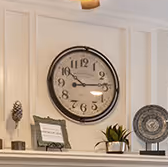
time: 10:14
